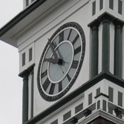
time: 9:54
